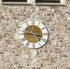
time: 4:46
